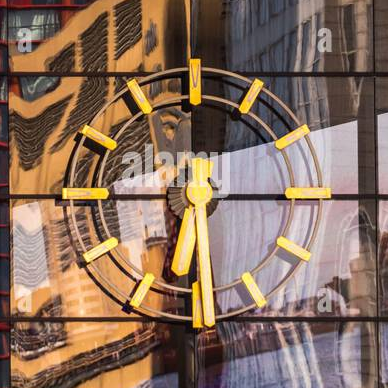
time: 6:45
